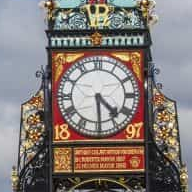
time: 4:29
